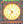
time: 6:52
